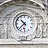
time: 10:37
